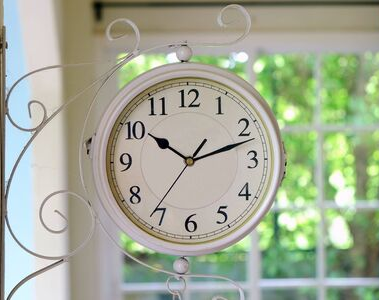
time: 10:12
